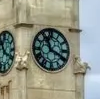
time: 11:19
